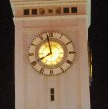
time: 7:58
